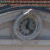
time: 12:22
